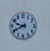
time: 9:40
